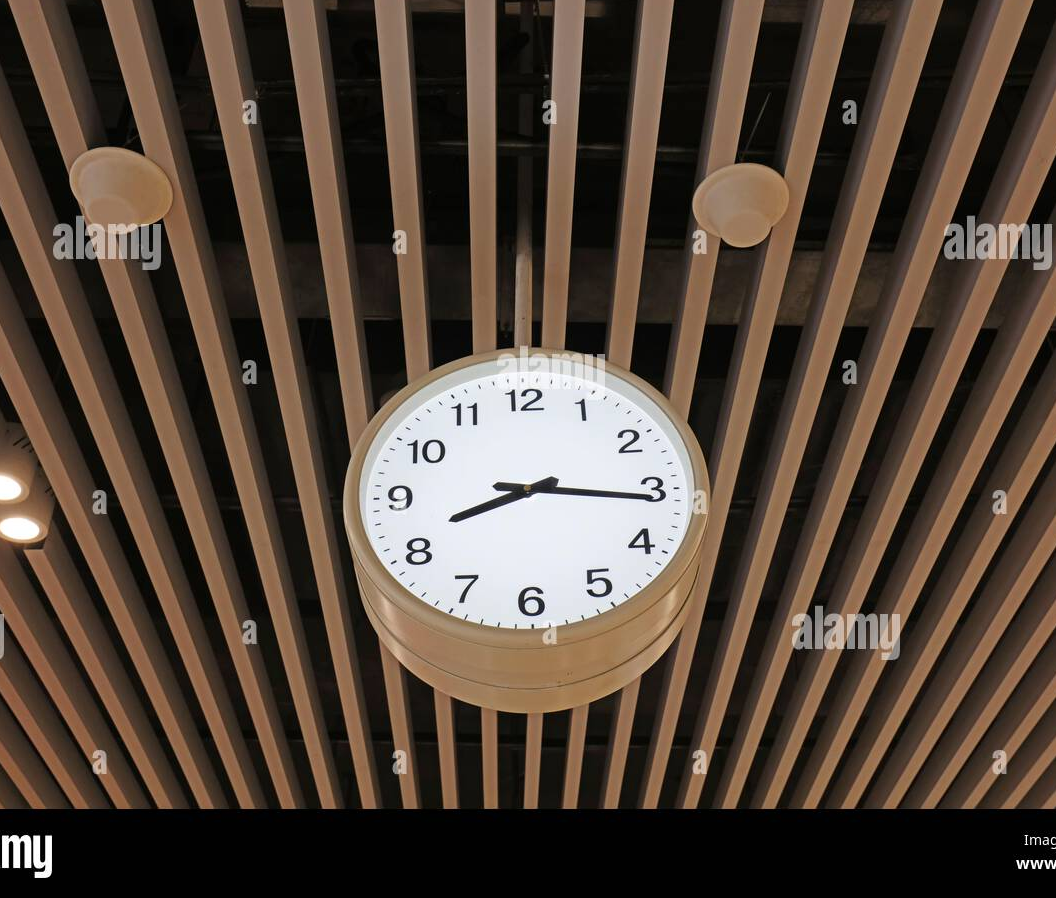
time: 8:16
